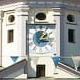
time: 1:16
